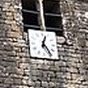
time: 12:24
